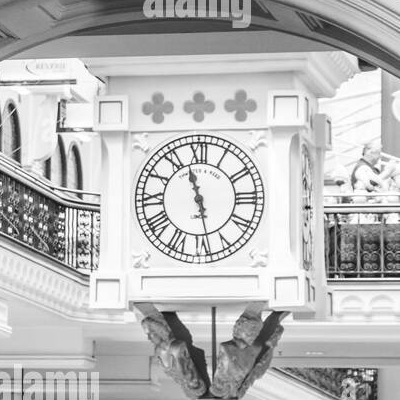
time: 11:28
